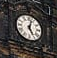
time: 5:03
